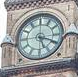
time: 5:18
